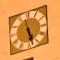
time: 5:27
